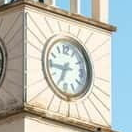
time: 6:44
